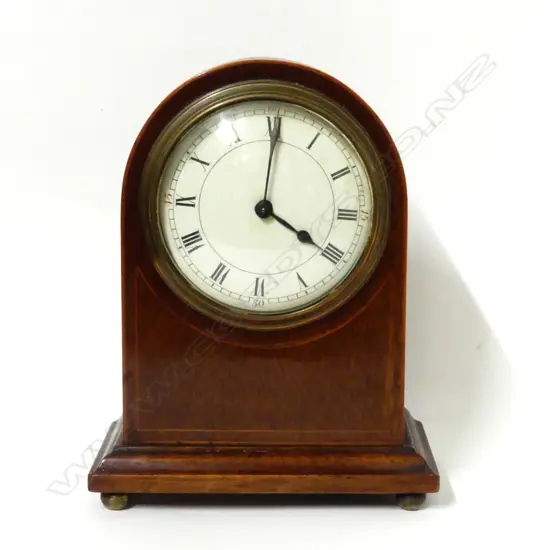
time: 4:00
